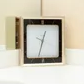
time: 12:32
